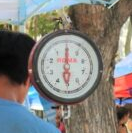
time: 6:00
